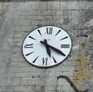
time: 5:19
